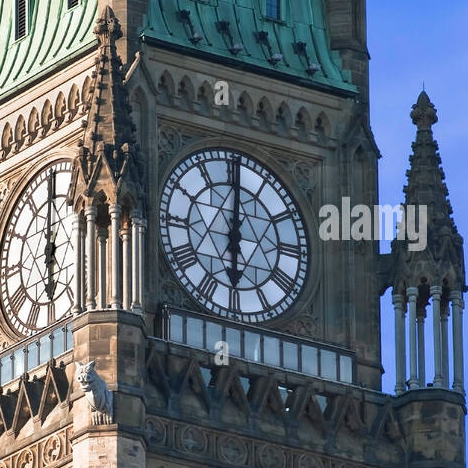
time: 6:00
